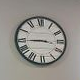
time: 8:45
